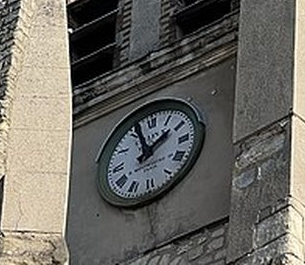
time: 1:56
